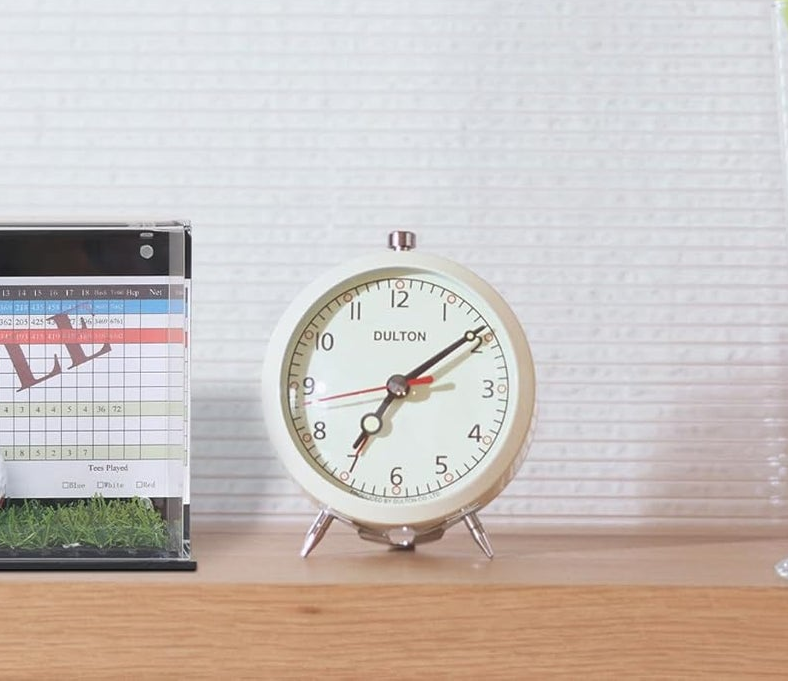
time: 7:09
